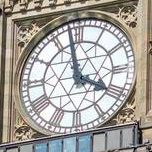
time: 3:58
